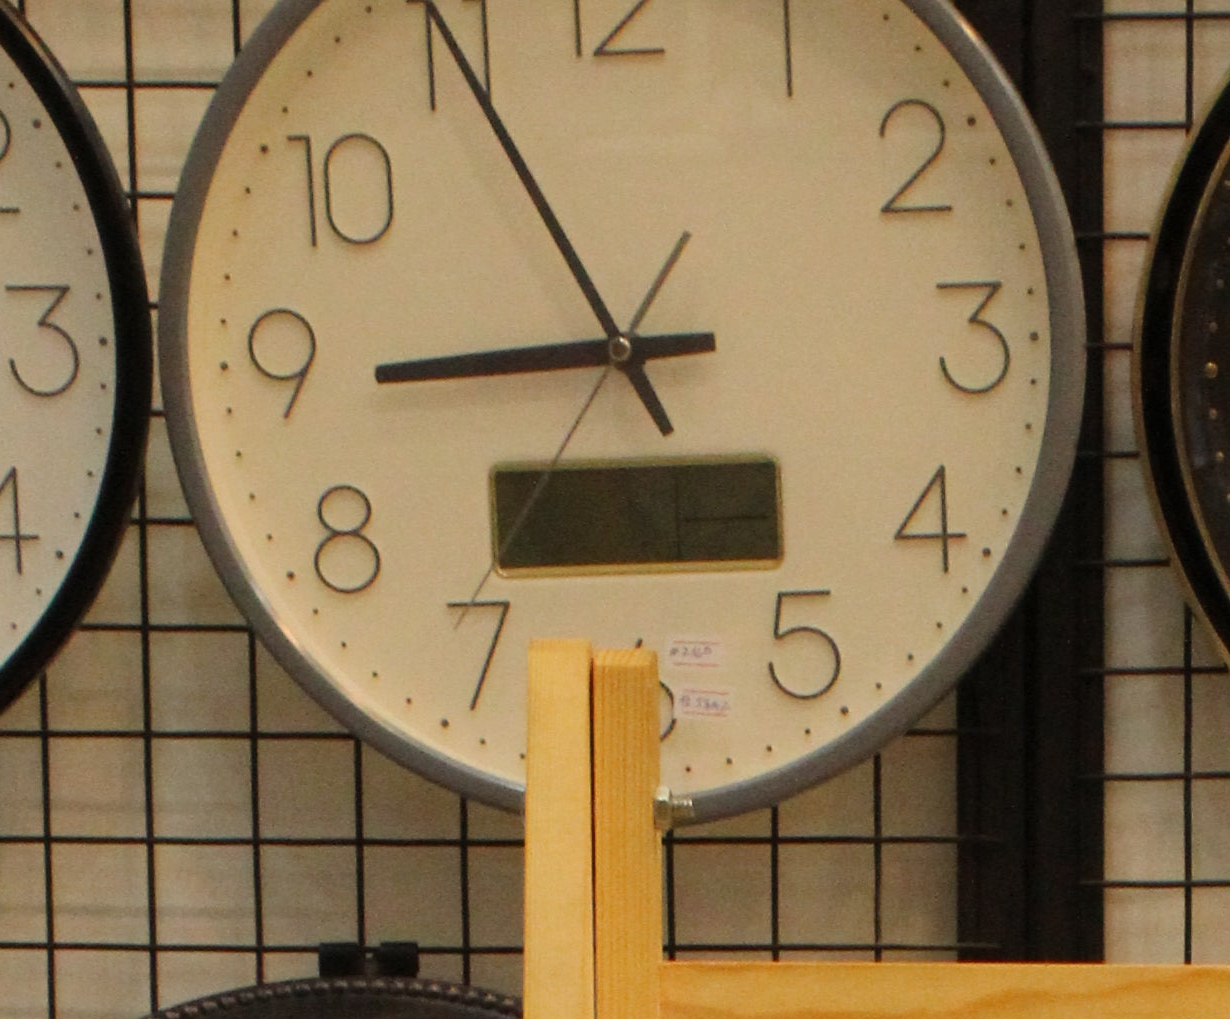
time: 8:55
